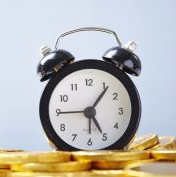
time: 5:06
